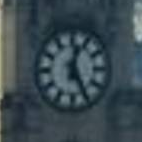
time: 12:24
